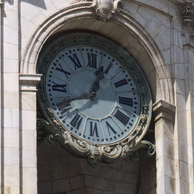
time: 12:41
